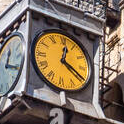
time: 12:19
